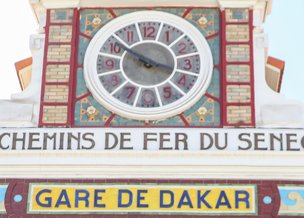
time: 10:17
